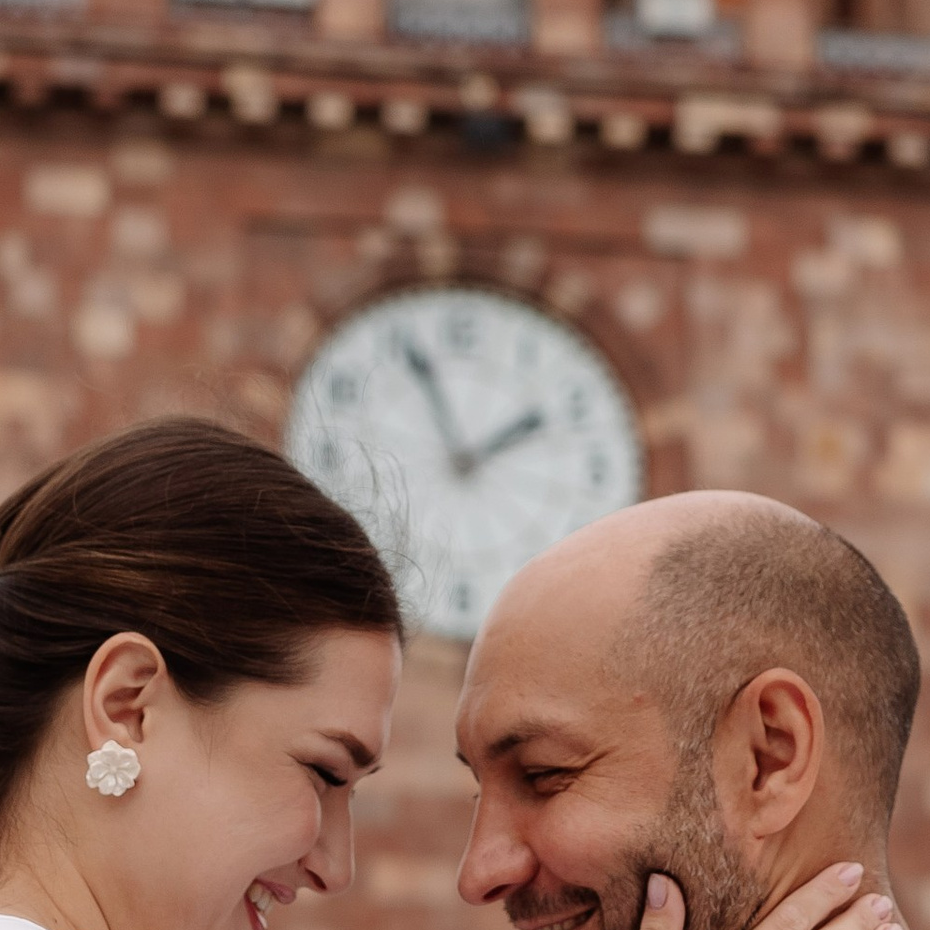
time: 1:56
